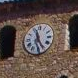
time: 11:25
